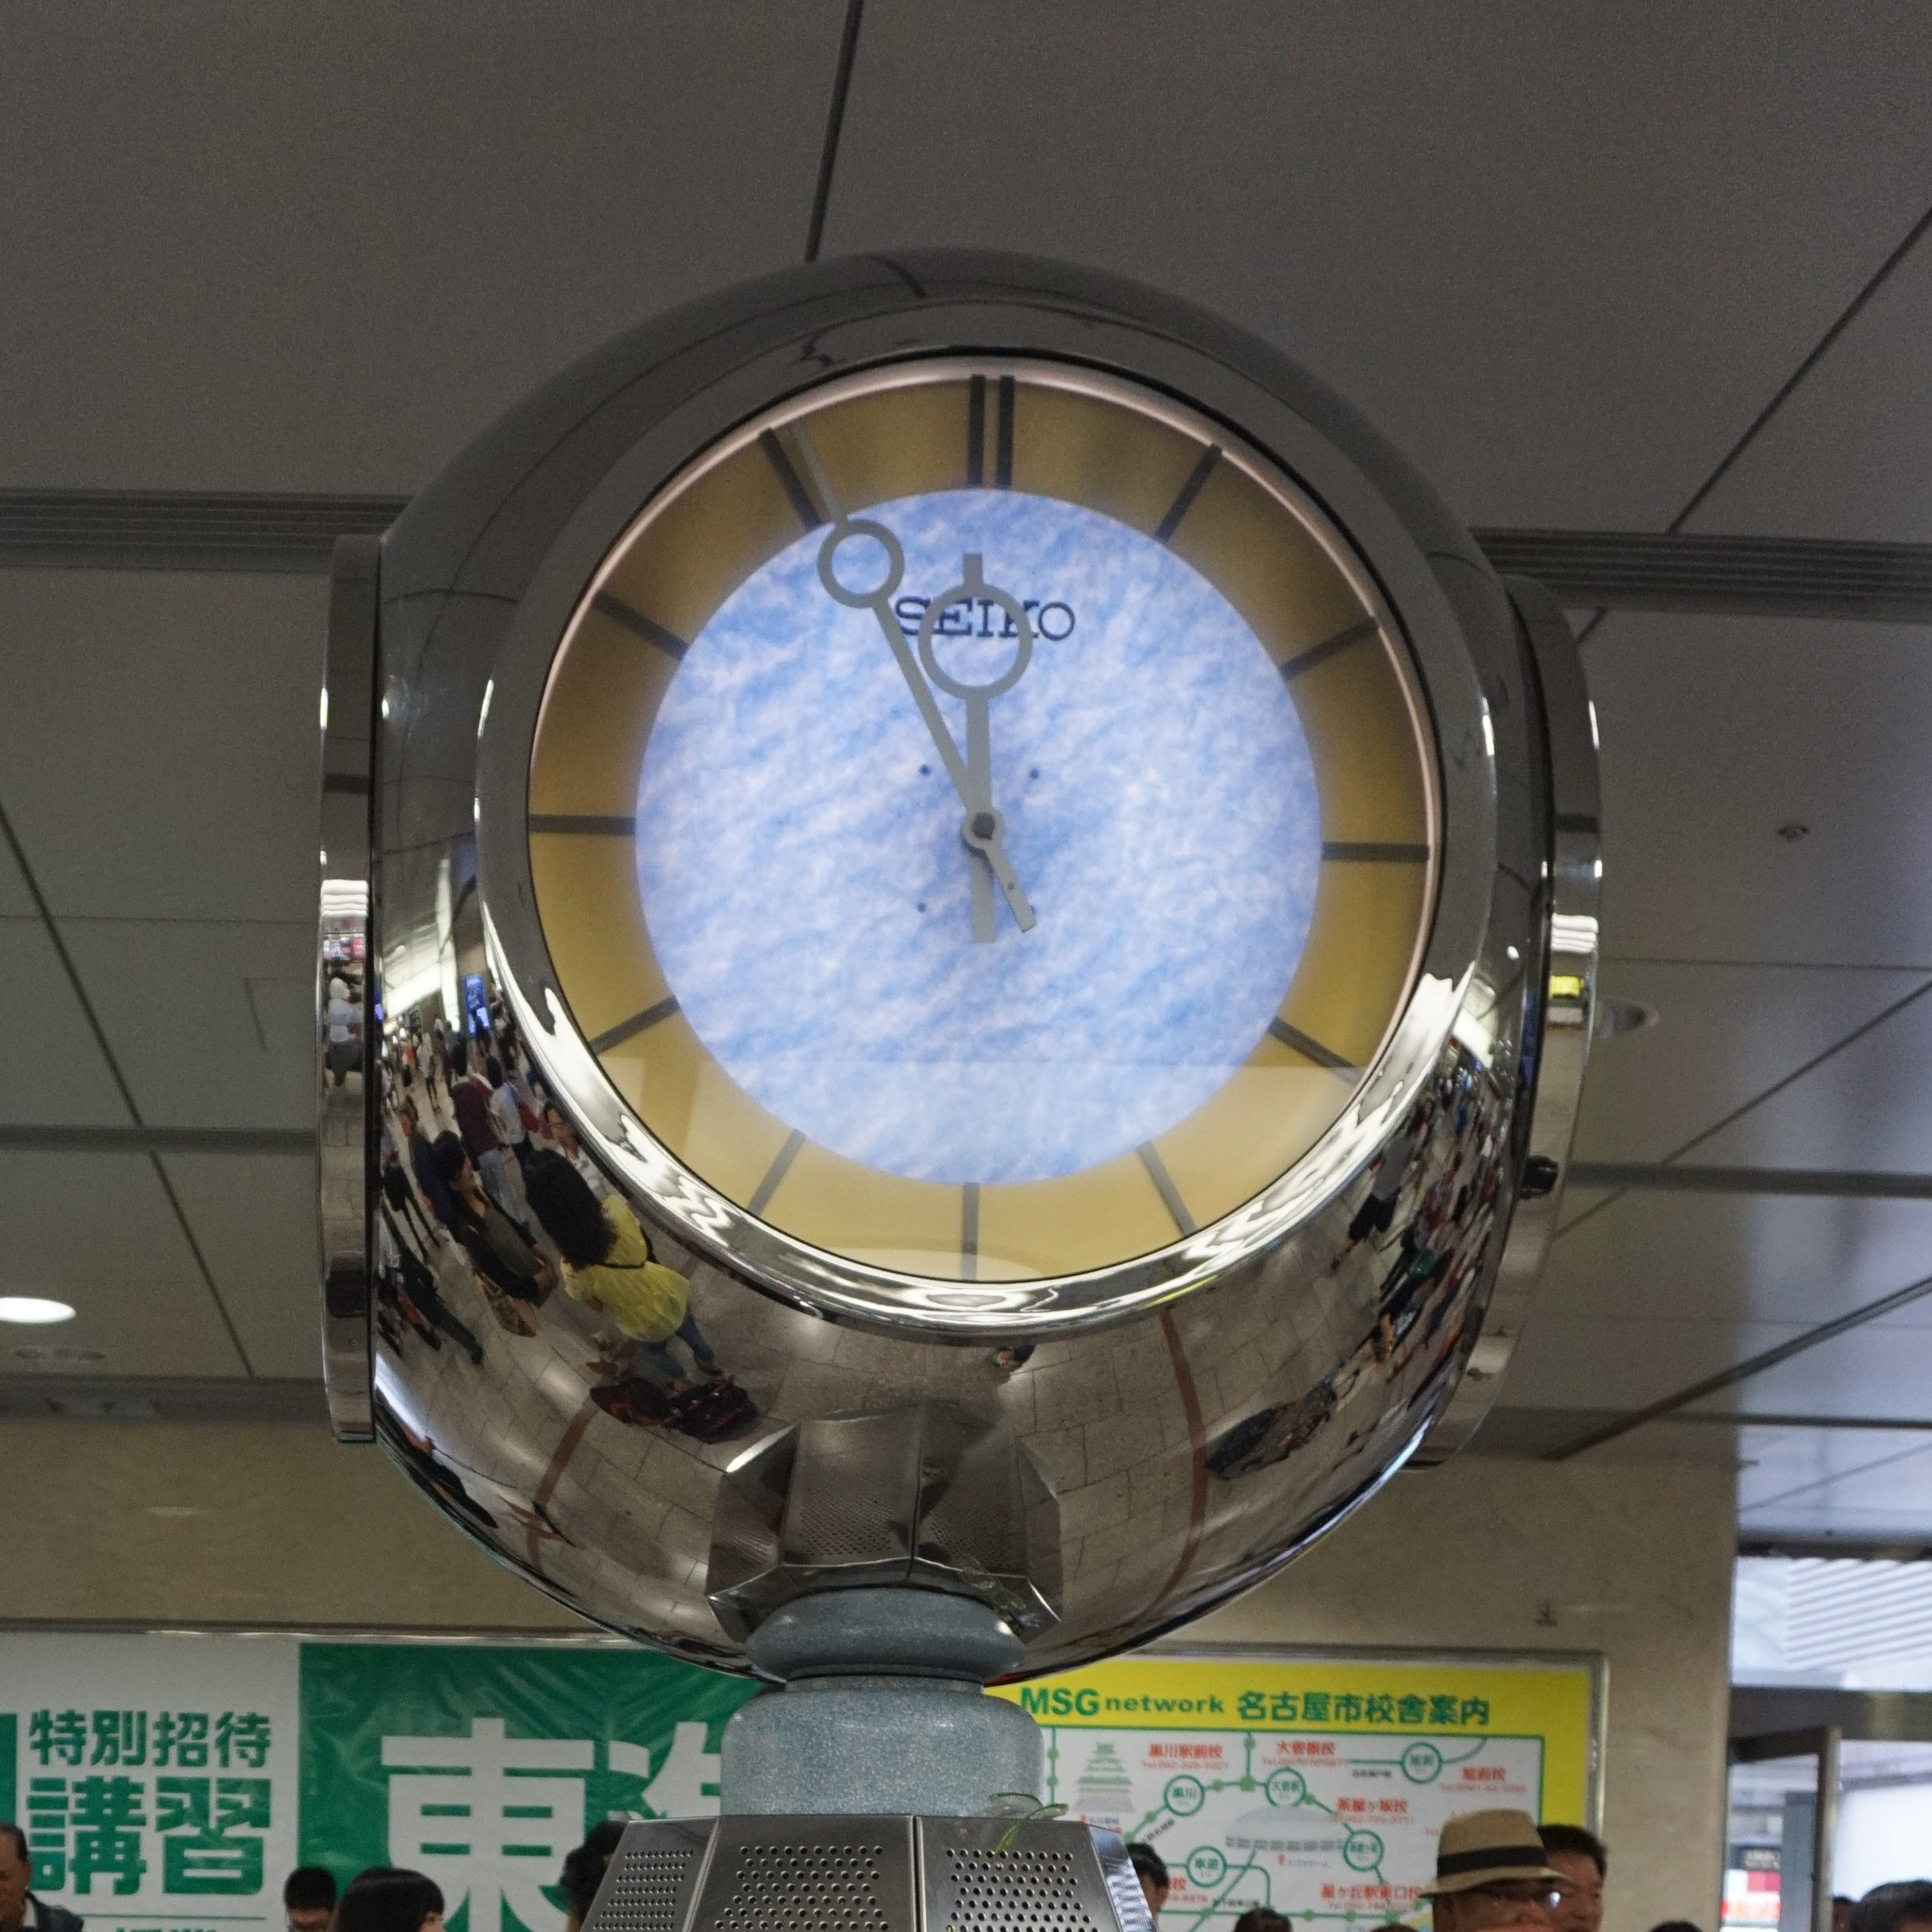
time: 11:55
